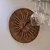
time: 1:36
